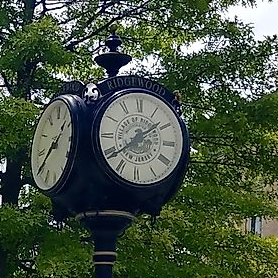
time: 1:38
